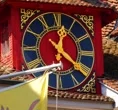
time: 12:21
